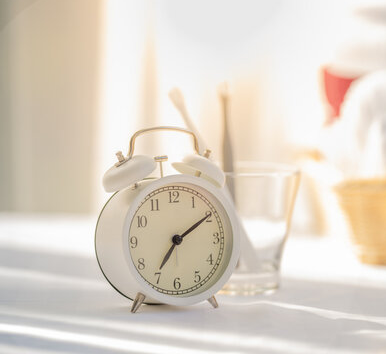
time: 7:09
